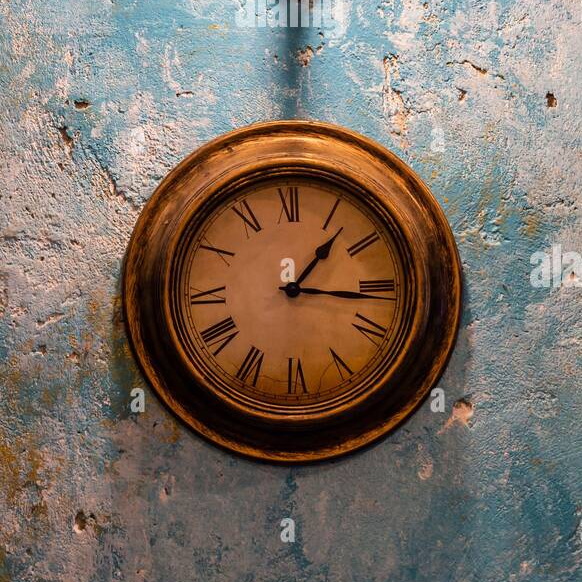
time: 1:16
